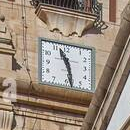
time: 11:28
